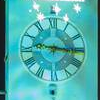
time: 9:16
